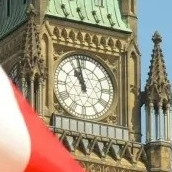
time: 10:58
